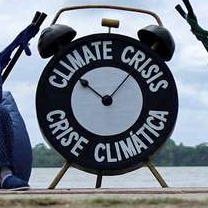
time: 10:07
